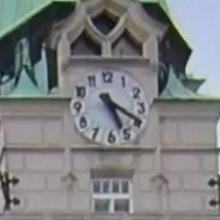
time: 5:19
